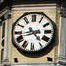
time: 4:42
